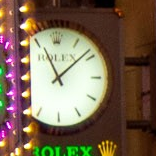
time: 11:08
